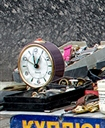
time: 12:57
